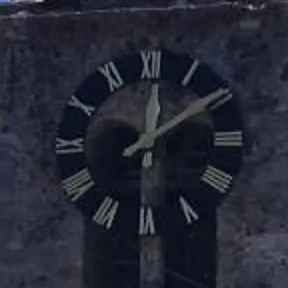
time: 12:09
